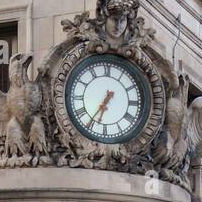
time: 6:35
